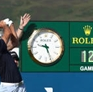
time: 9:26
